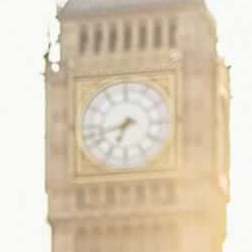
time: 6:42
